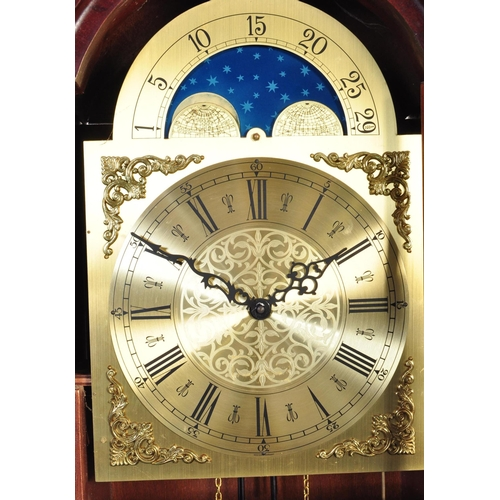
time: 1:50
